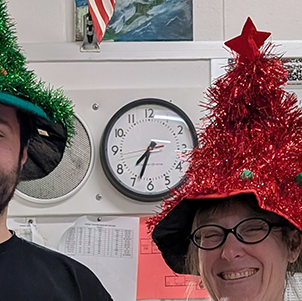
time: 7:33
